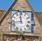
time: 11:42
